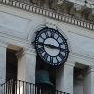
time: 2:44
